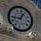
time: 12:44
